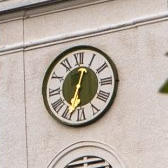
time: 12:33
